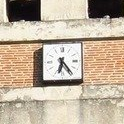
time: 6:23
